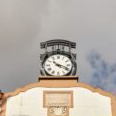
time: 4:18
